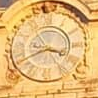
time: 3:40
